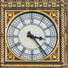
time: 3:23
